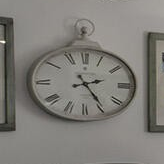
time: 2:24
